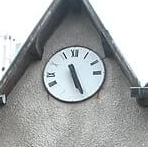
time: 5:26
